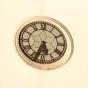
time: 5:33
